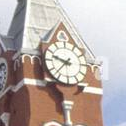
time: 9:37
